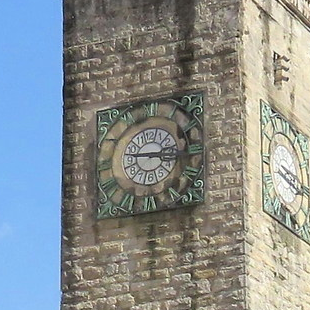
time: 2:46
